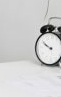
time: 9:50
